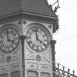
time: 3:58
